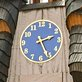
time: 2:26
